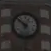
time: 12:52
